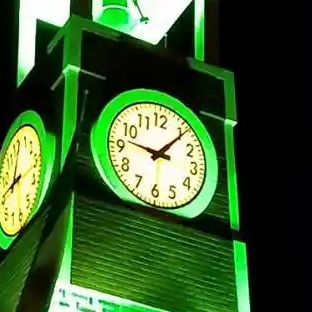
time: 9:06
